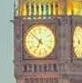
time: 6:52
